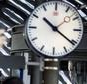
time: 10:21
